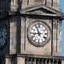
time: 8:56
